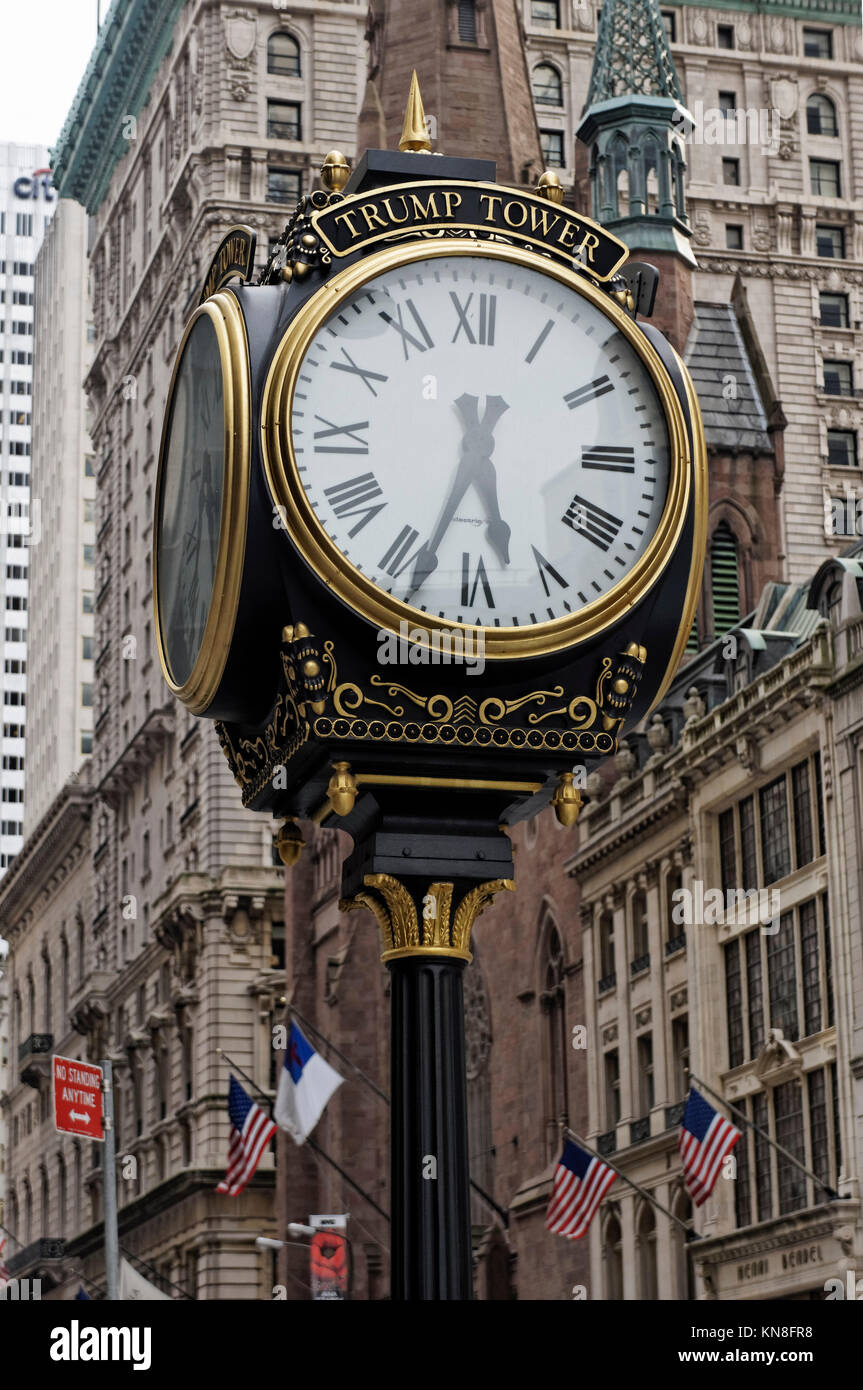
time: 5:33
